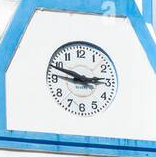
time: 2:48
